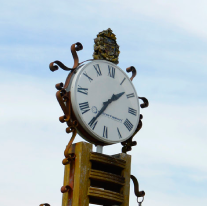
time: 1:35
